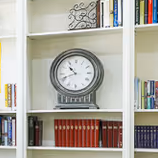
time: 10:41
